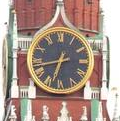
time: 6:42
